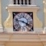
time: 3:47
